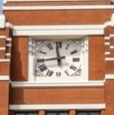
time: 11:44
